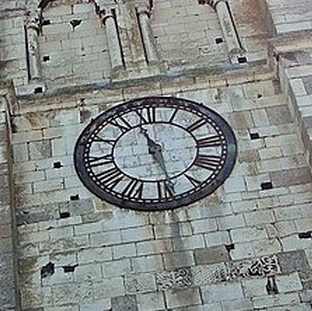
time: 11:29
